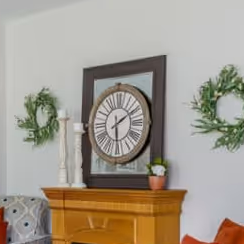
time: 6:10
